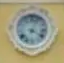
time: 4:03
